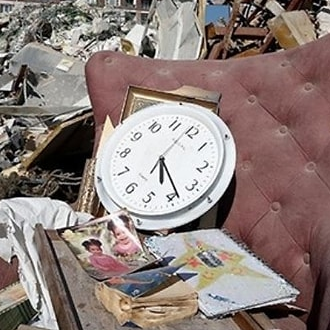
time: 5:23
